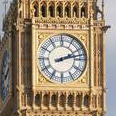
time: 2:12
